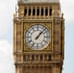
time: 1:07
